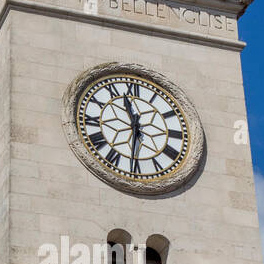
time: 11:31
